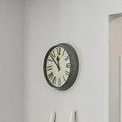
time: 11:52
